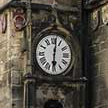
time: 6:01
